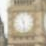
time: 11:28
